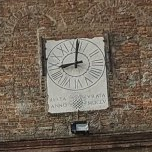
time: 9:01
